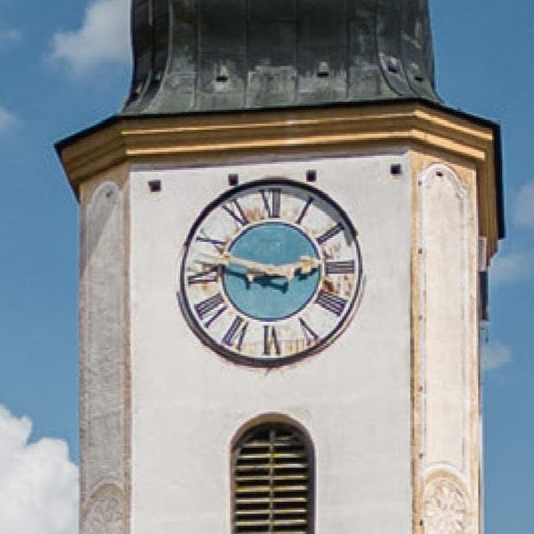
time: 2:46
